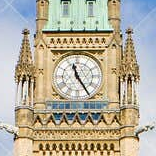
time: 11:24
